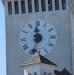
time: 11:33
